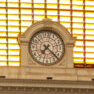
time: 7:22
